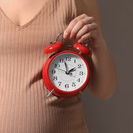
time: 1:57
